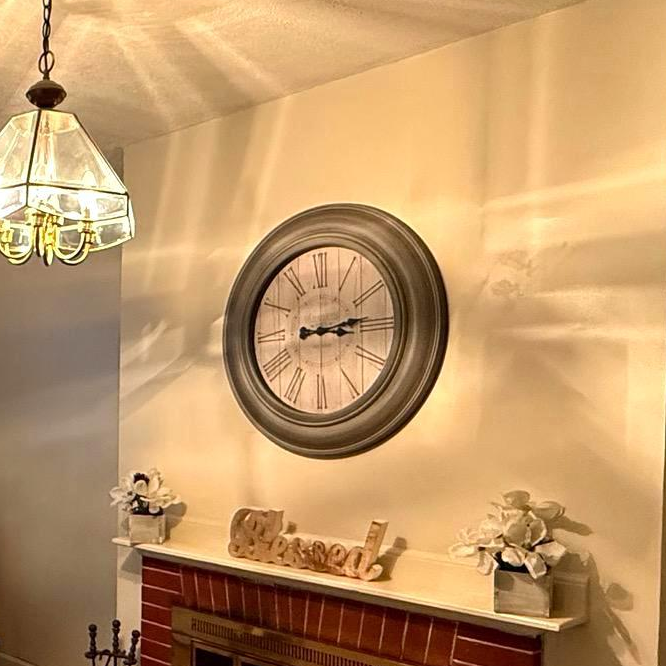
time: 3:13
